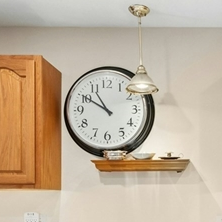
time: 10:50
